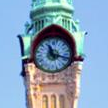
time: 11:17
